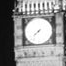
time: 7:37
